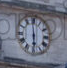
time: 5:59
